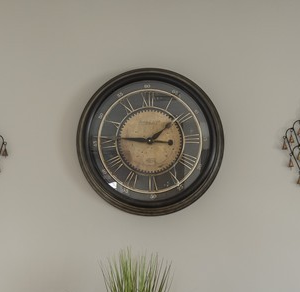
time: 9:08
